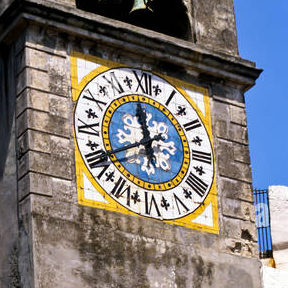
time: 11:39
